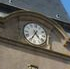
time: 4:34
